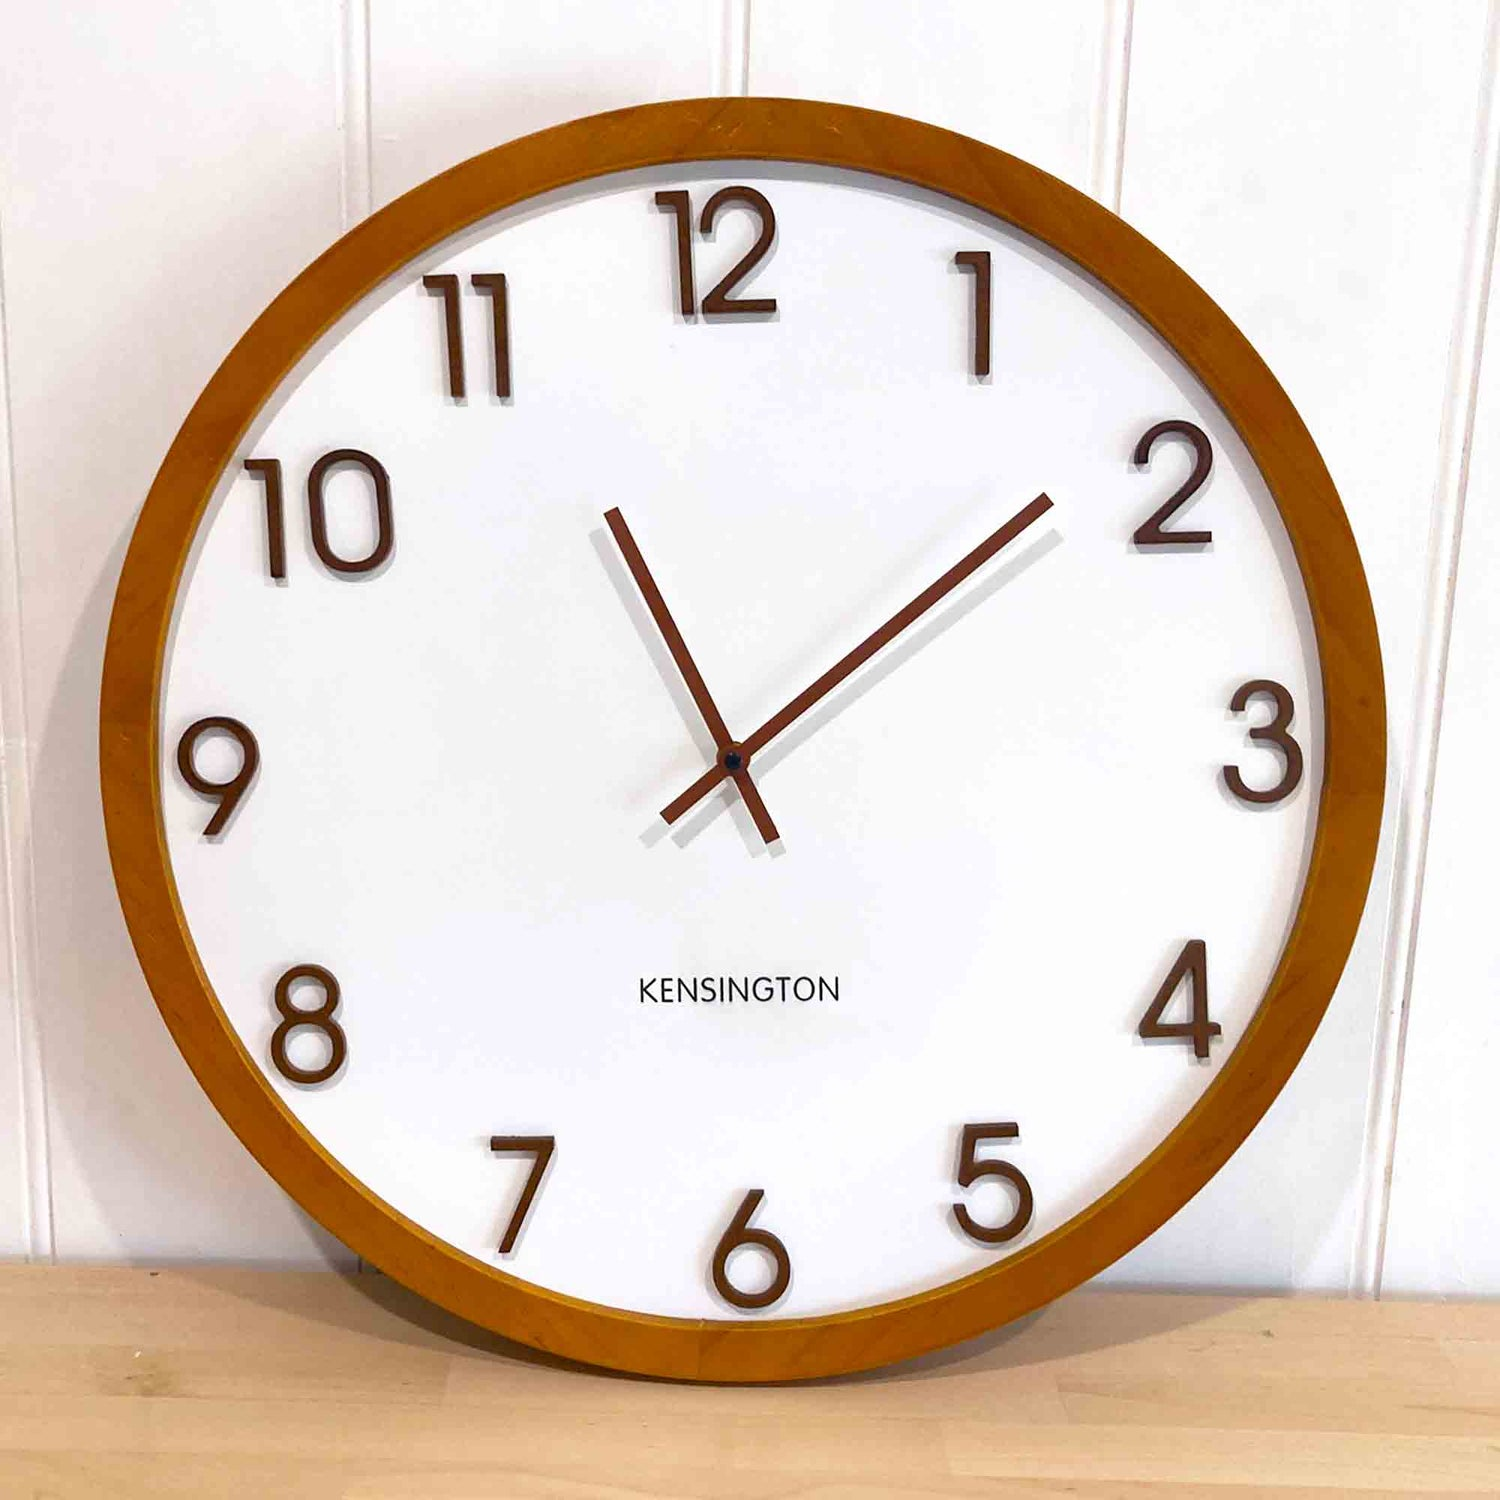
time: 11:08
